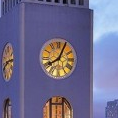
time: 8:04
